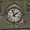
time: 1:56
